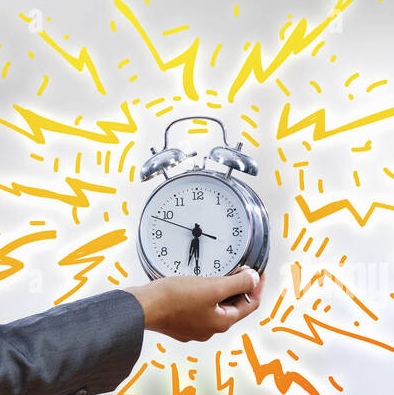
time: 6:30
